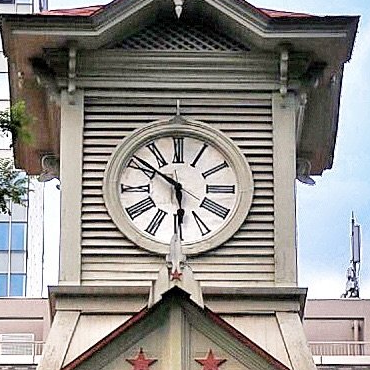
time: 5:51
